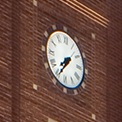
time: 7:35
